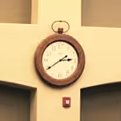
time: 2:39
